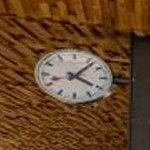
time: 4:07
